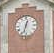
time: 12:32
